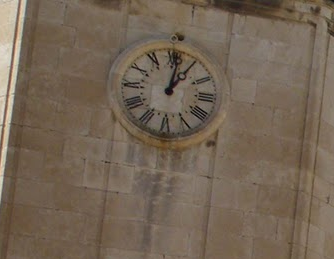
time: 1:01
